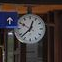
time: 12:37
